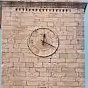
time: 12:19
